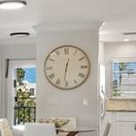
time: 12:31
